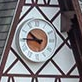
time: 10:45
